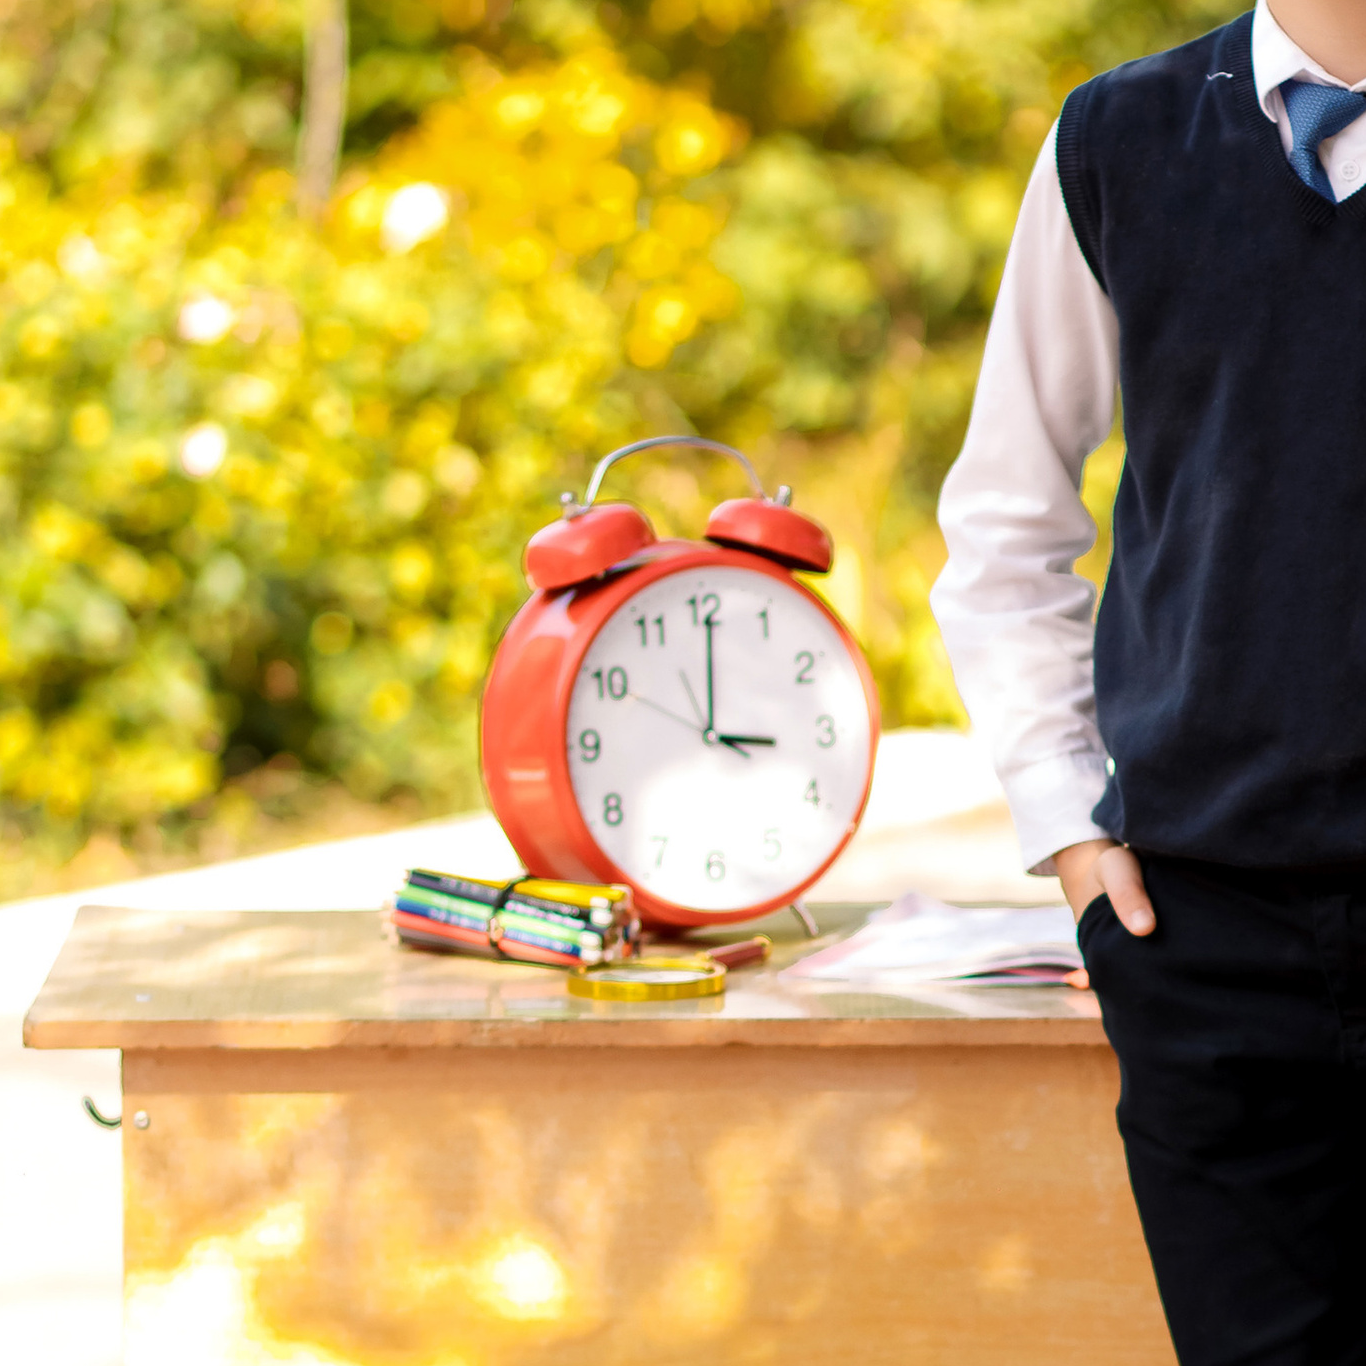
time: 3:00
